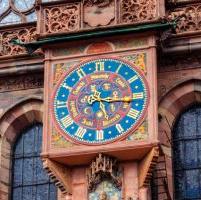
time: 2:15
